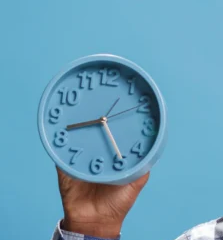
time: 8:24
